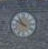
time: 9:53
